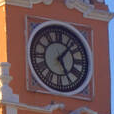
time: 5:07
